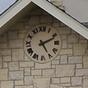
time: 5:11
